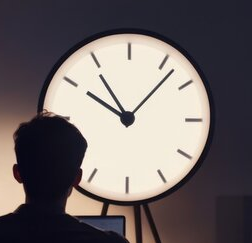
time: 10:07
